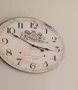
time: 3:49
